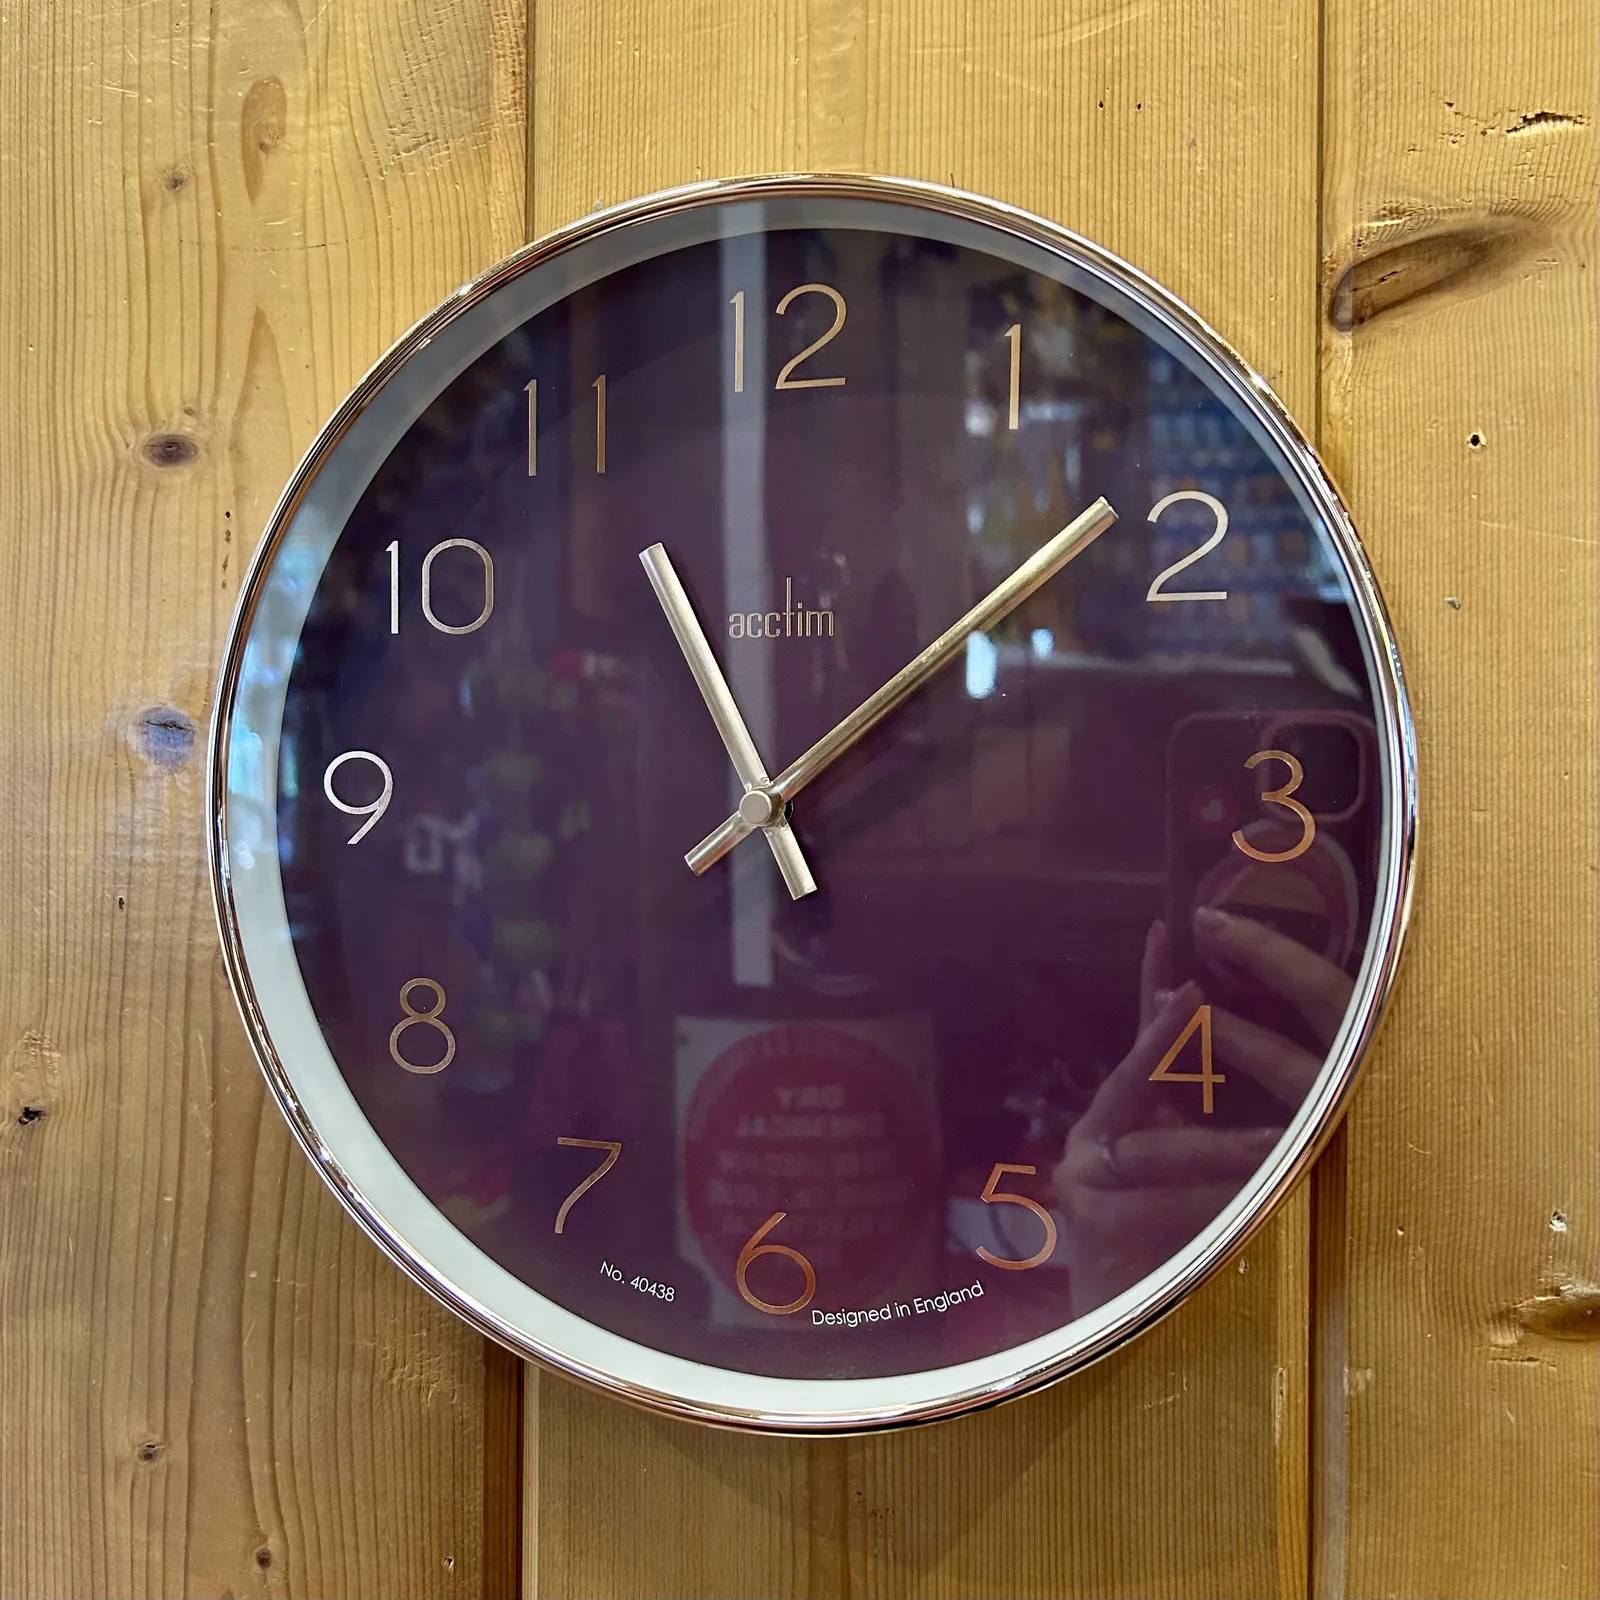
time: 11:08
